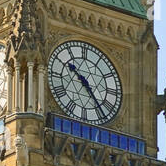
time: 10:23
